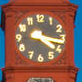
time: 4:16
